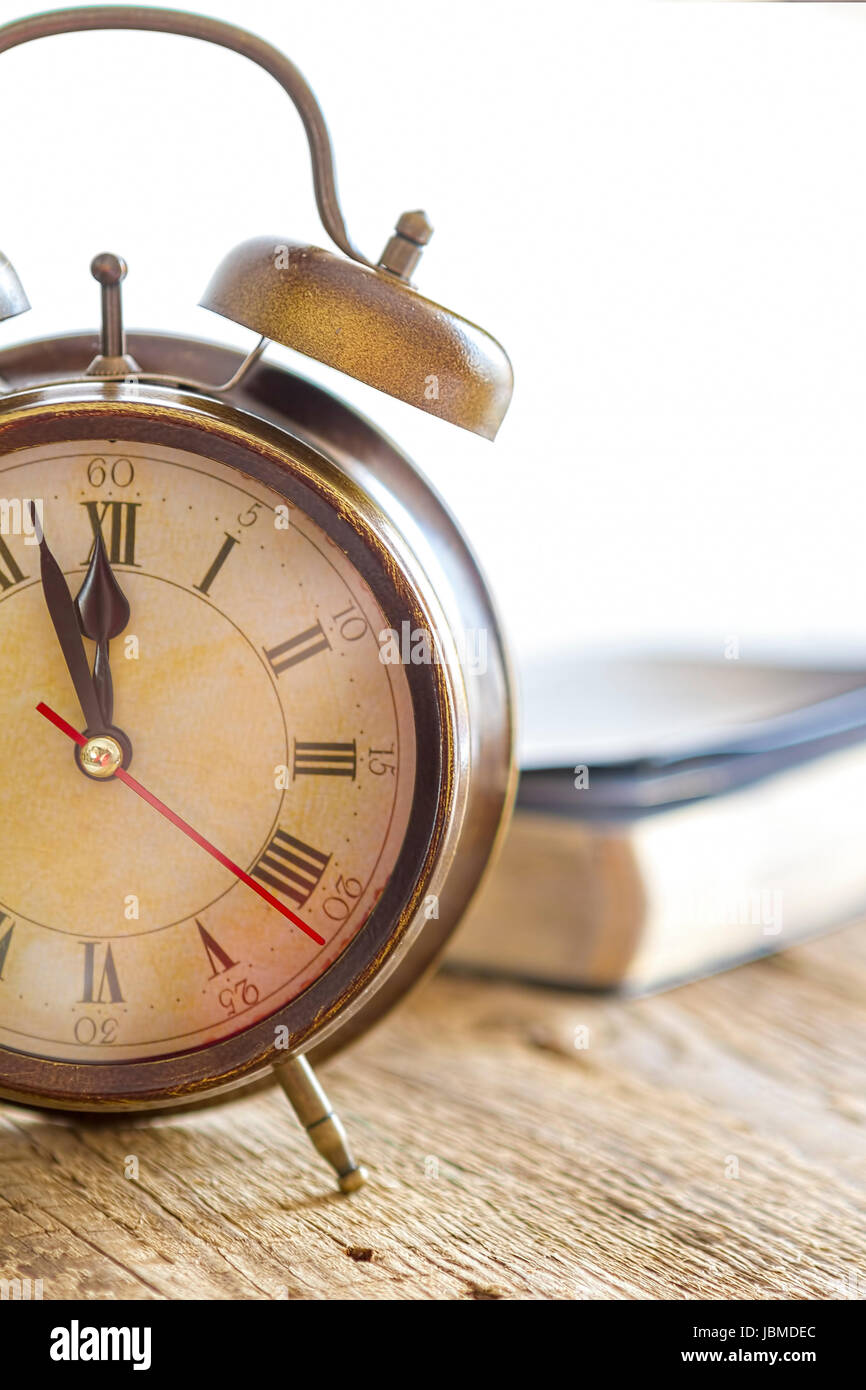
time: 11:55
